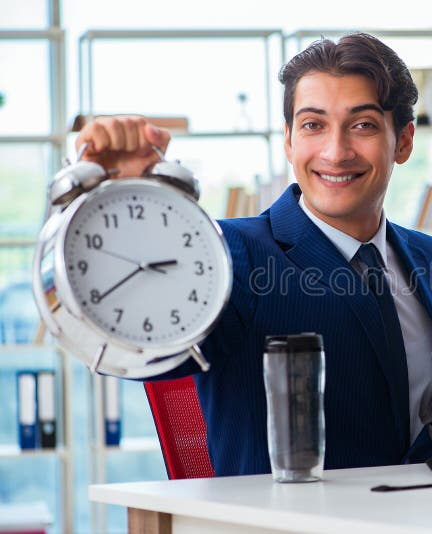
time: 2:39
